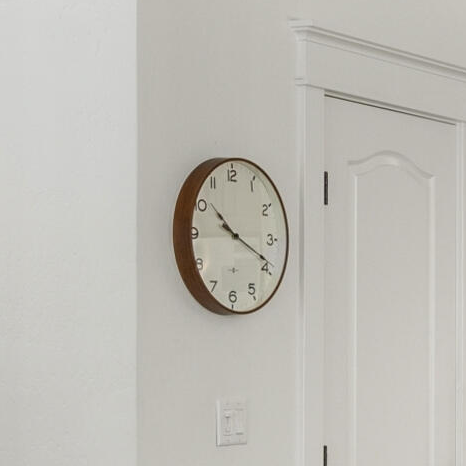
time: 10:18
